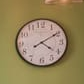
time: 4:09
